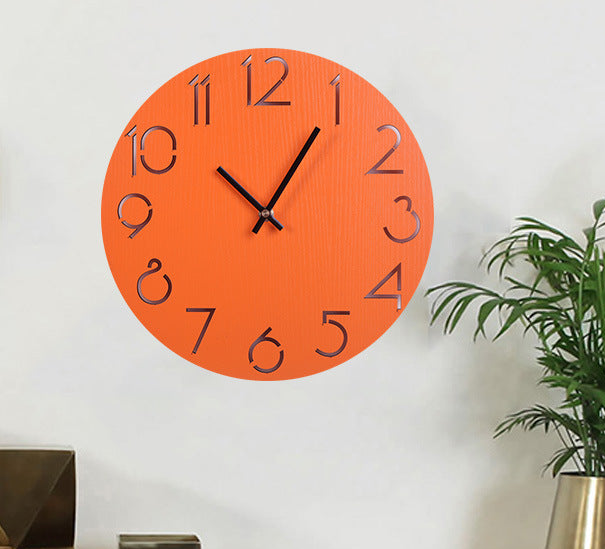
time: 10:05
